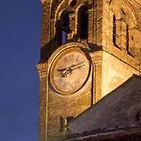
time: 8:11
